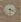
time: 3:31
